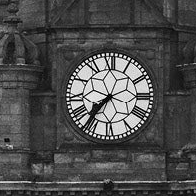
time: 7:36
